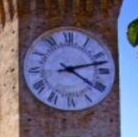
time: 4:12
